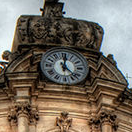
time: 12:22
